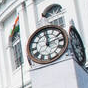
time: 12:12
